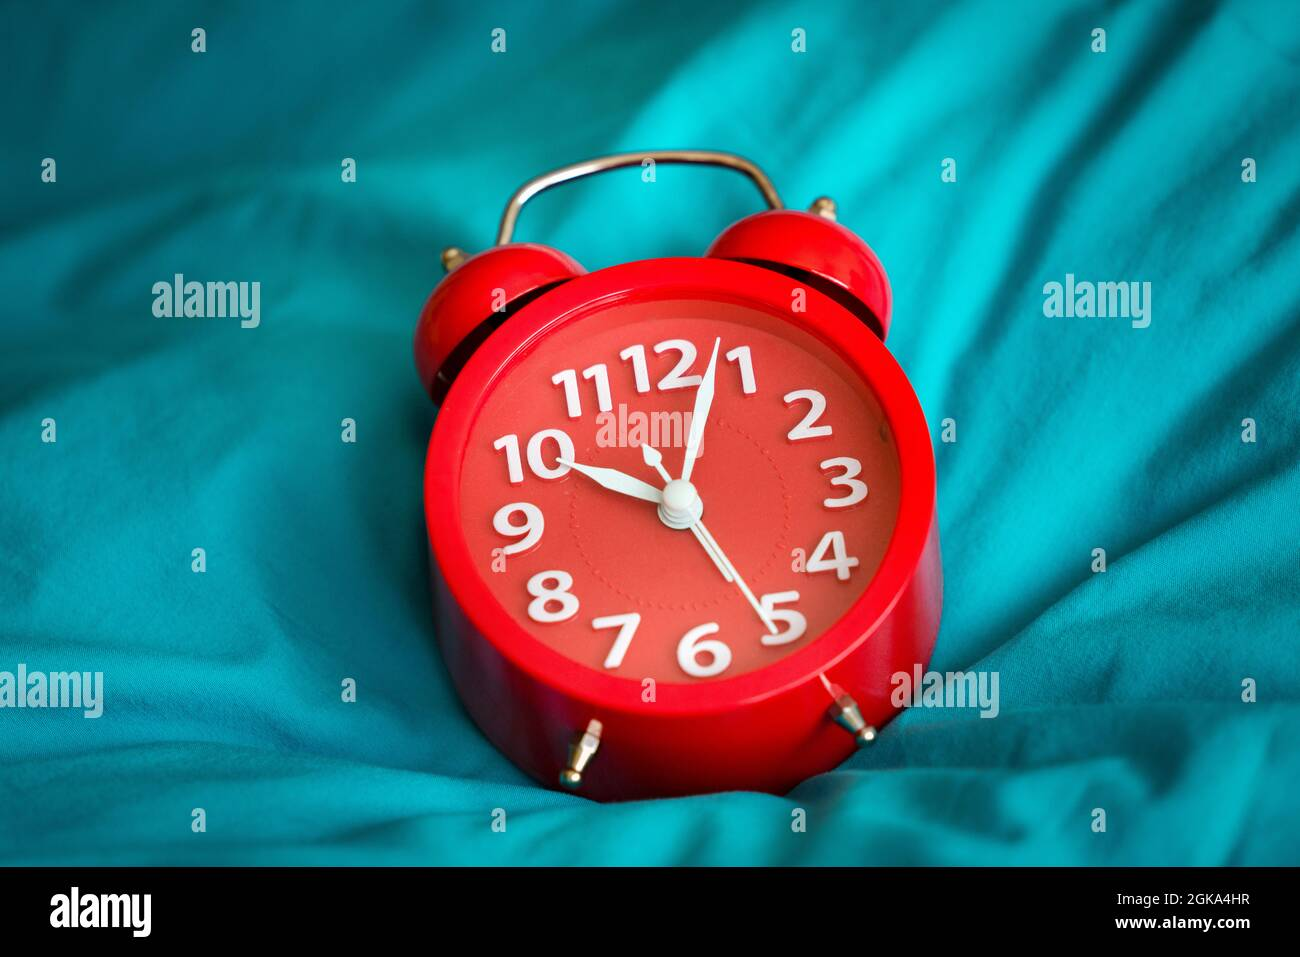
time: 10:03
